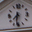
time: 7:31
